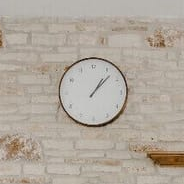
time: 1:07
